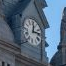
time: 12:13
